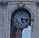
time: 5:15
